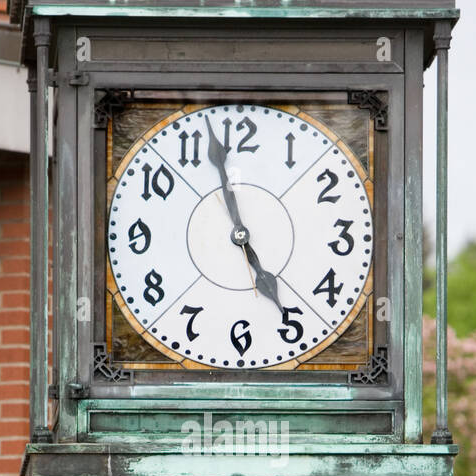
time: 4:57
